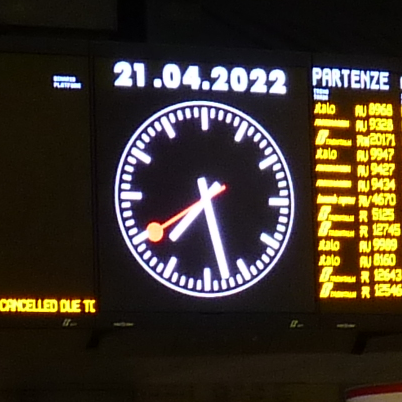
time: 7:27
